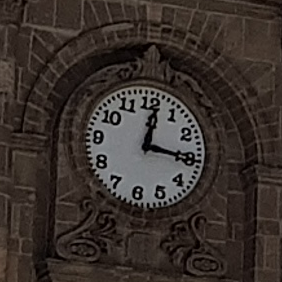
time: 12:15
